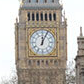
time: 12:04
